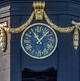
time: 11:07
